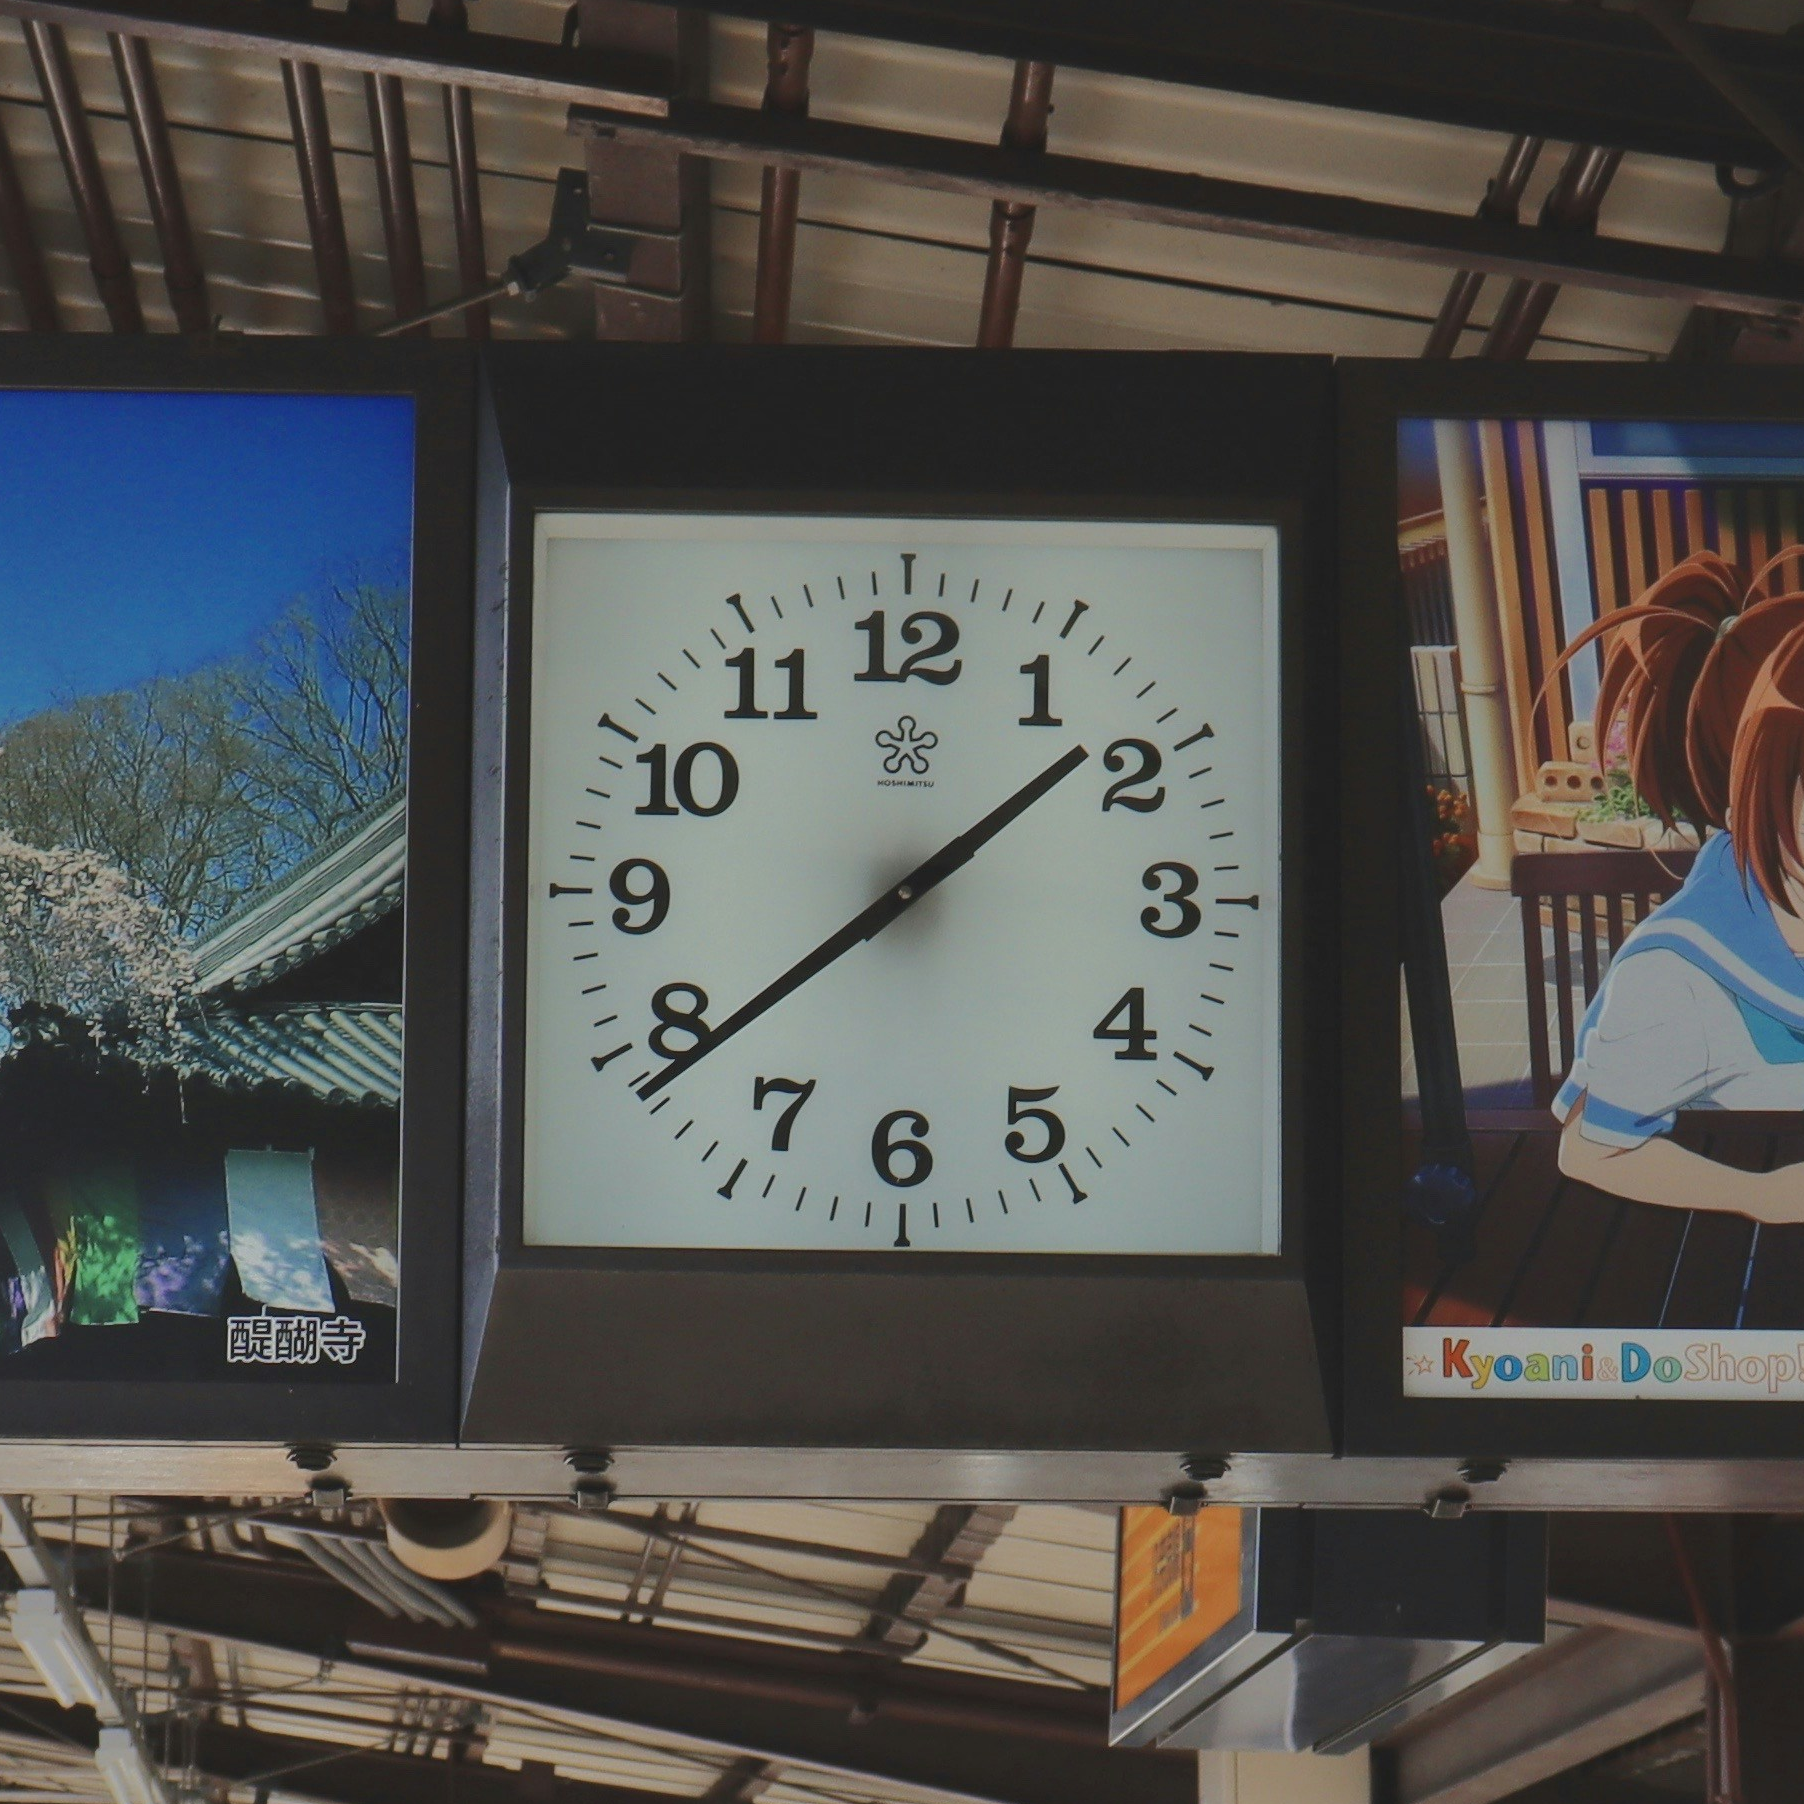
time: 1:38
